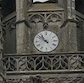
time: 10:51
